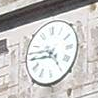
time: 4:44
